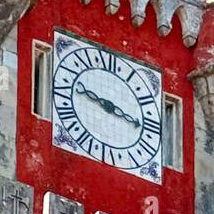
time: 9:16
